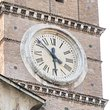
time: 5:51
